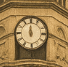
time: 11:59
